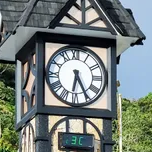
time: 6:25
